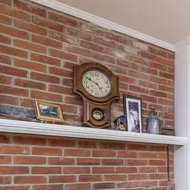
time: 4:50
